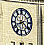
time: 8:21
